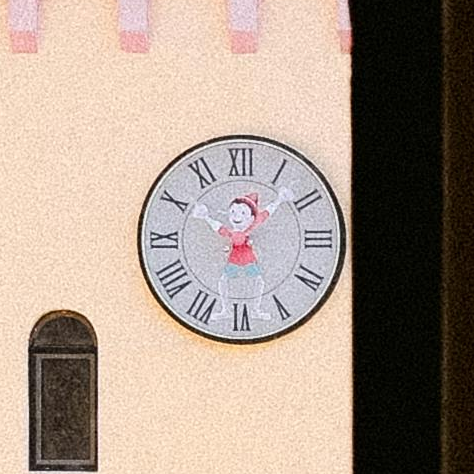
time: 10:07
